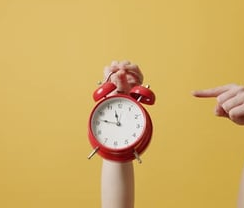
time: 11:46
